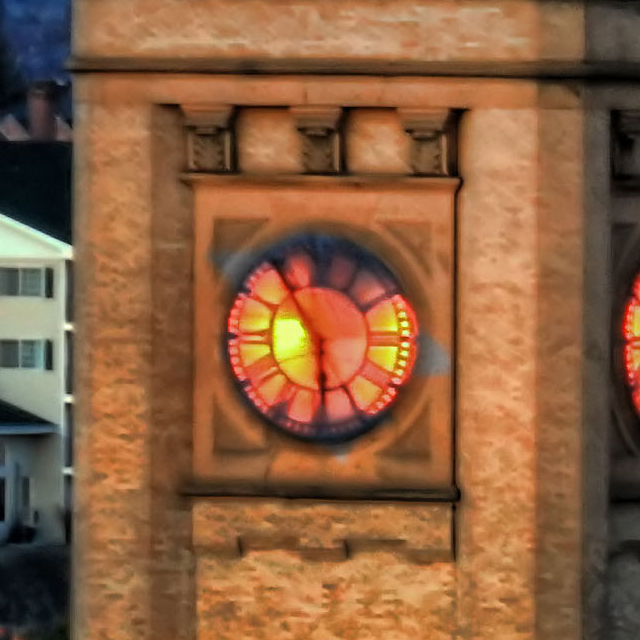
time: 5:54
